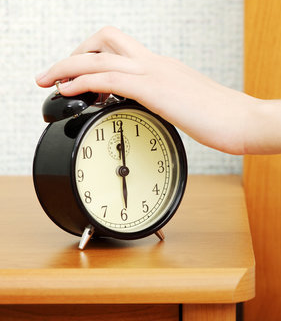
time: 6:00
